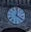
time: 4:01
